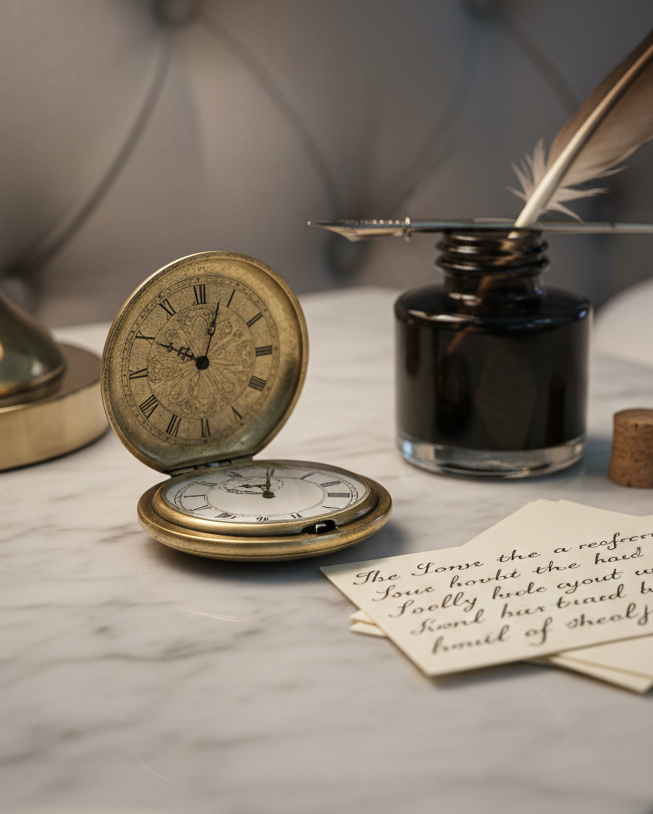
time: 10:03
